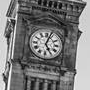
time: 5:03
